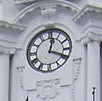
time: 12:18
